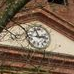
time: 2:56
